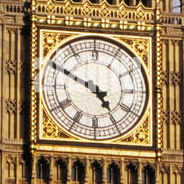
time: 4:49
